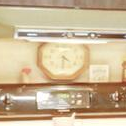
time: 4:30
